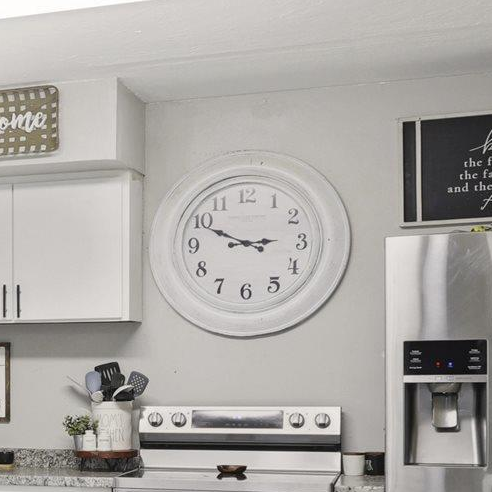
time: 2:49
